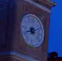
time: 8:11
